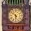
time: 5:51
